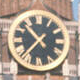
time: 10:36
